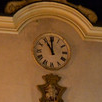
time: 10:59
